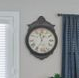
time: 11:34
